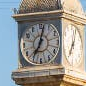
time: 7:02
